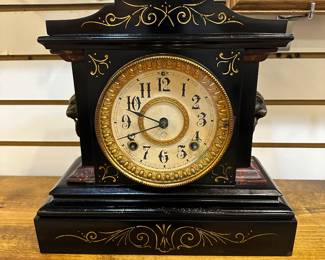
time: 9:41
